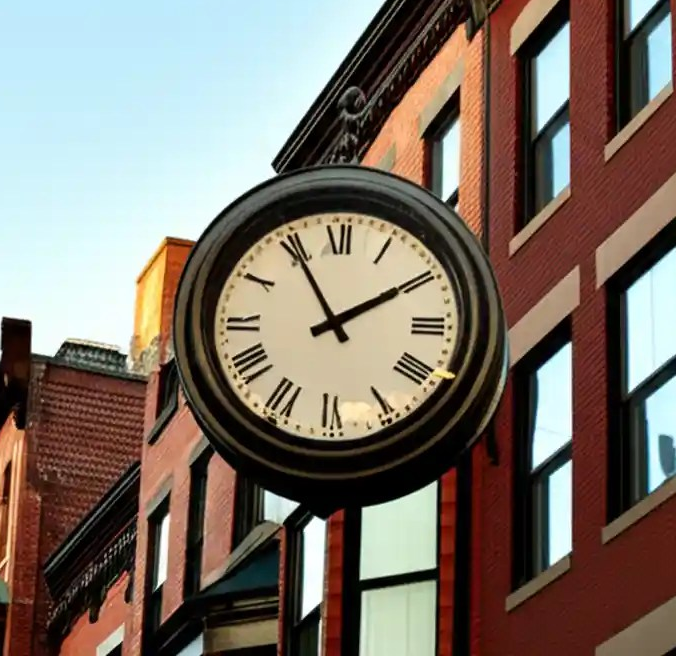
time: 1:55
